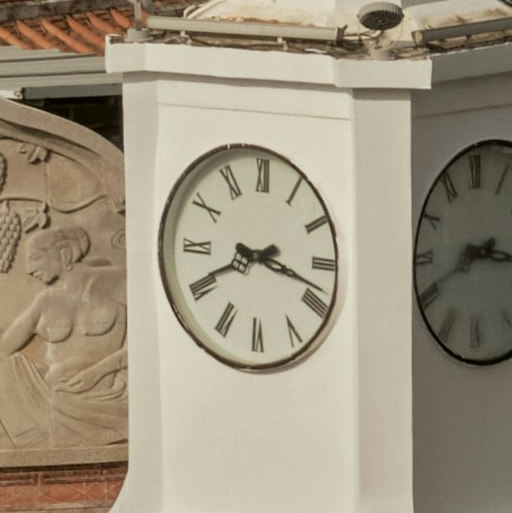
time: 8:17
